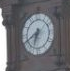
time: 6:40
